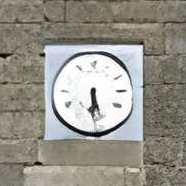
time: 5:30
